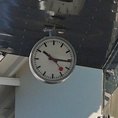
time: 10:15
